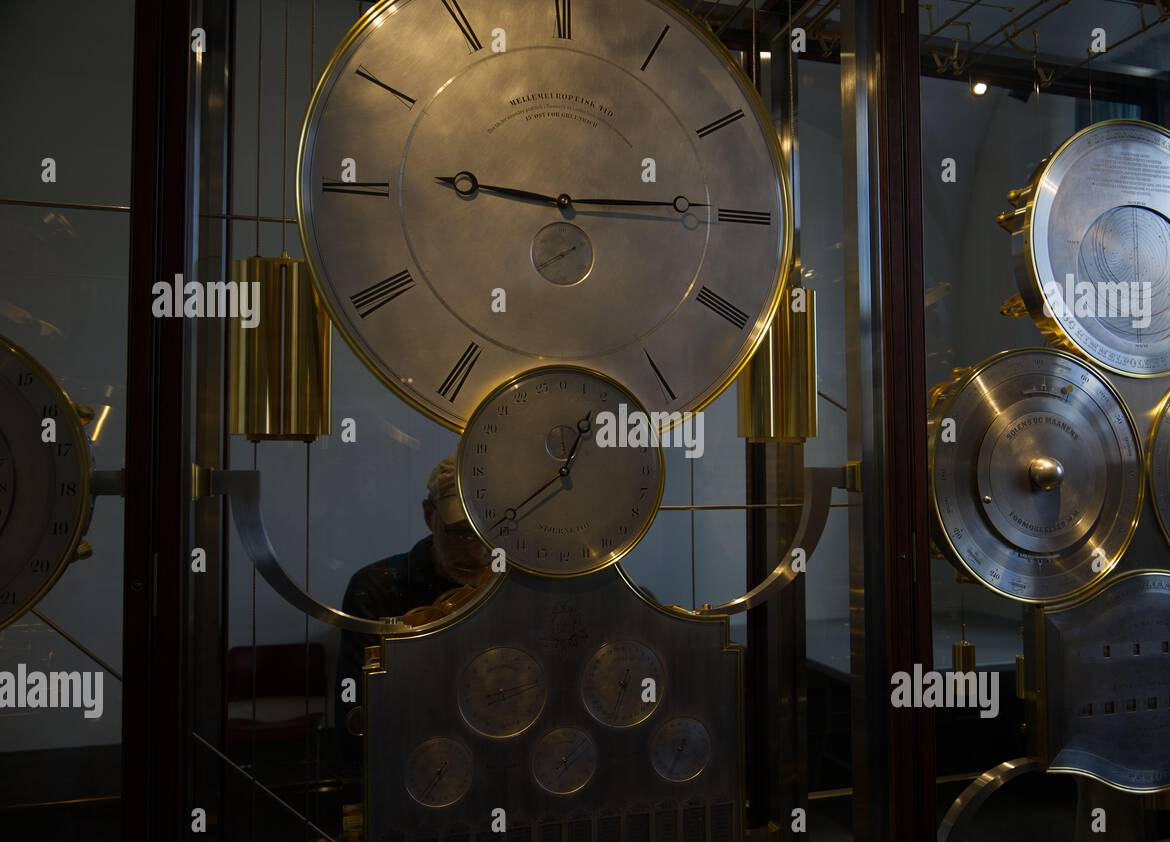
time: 9:14
